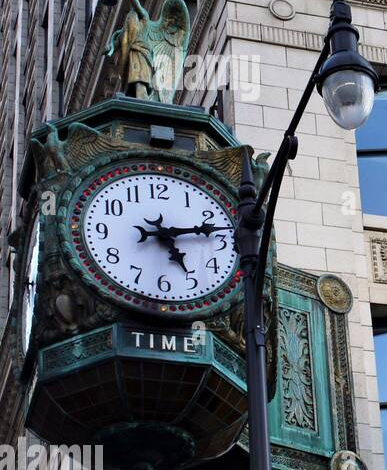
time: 5:12
